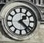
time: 1:22
